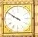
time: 9:50
